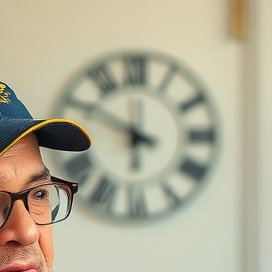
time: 5:49
